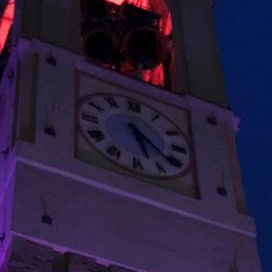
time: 5:21
